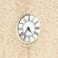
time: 4:37
